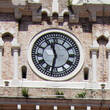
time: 11:32
